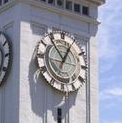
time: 12:53
